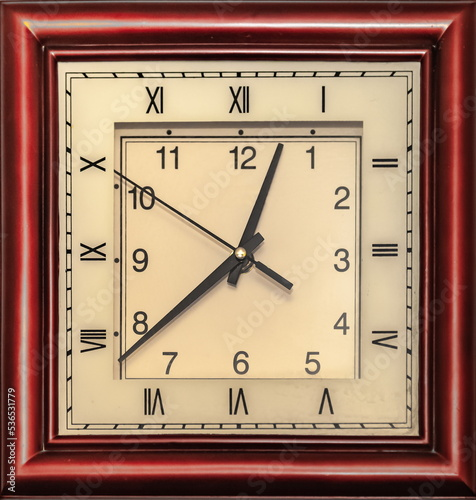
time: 12:38
